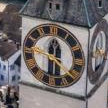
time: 12:30
